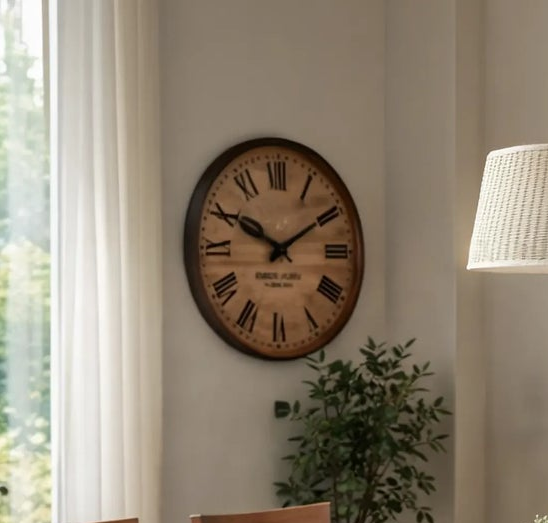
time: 10:09
